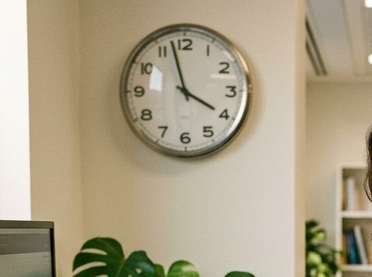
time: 3:57
